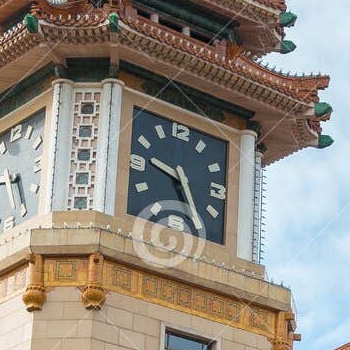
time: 9:25
